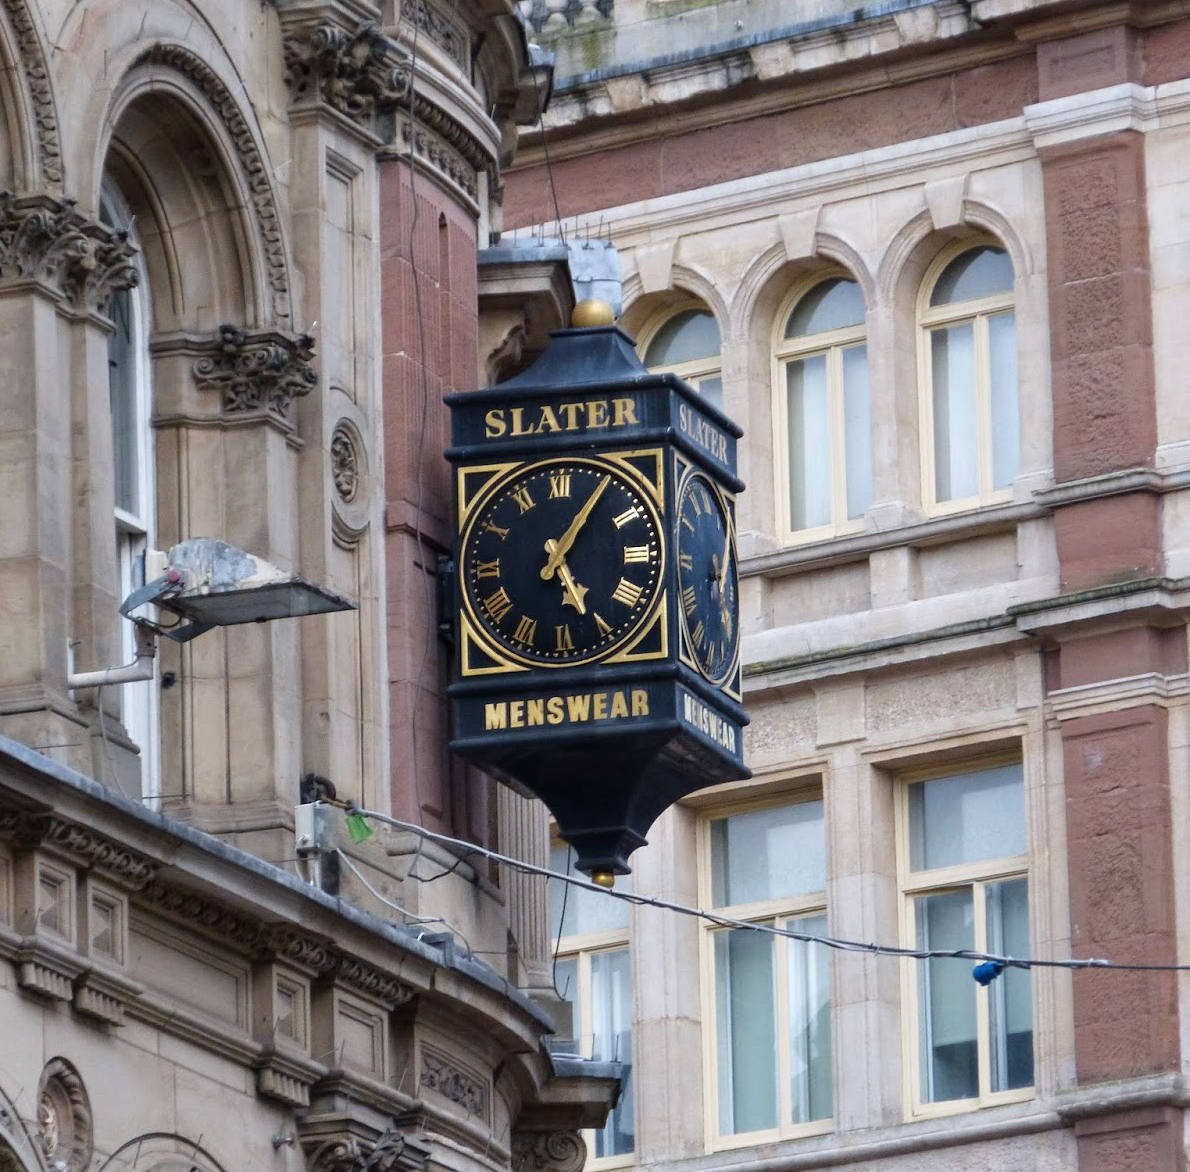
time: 5:06
